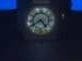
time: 4:39
